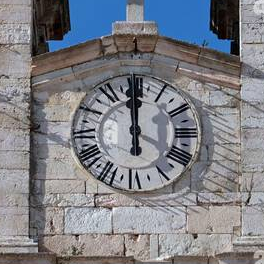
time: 11:59
